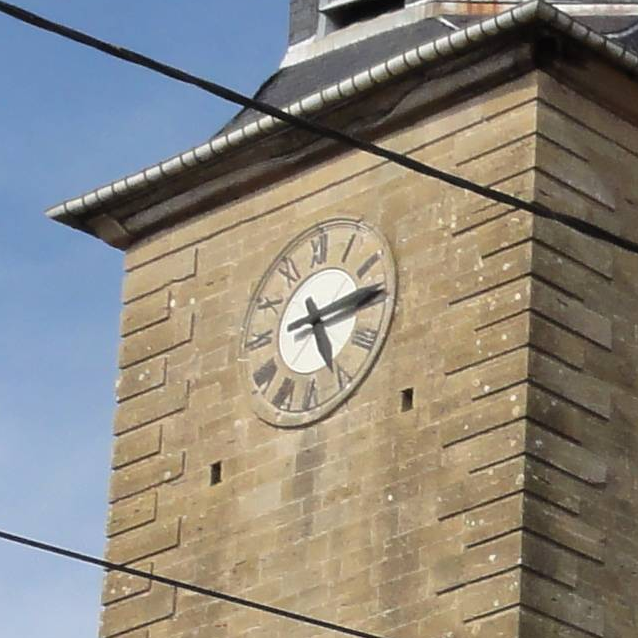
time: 5:14
